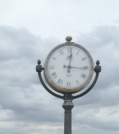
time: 12:15
